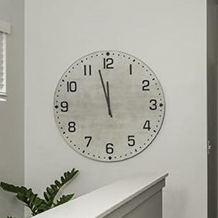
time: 11:57
